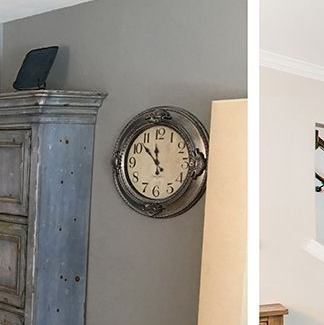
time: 11:52
